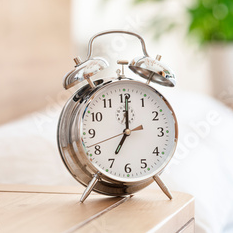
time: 7:00
